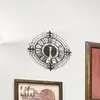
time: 5:59
